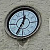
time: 12:34
